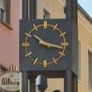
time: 10:17
